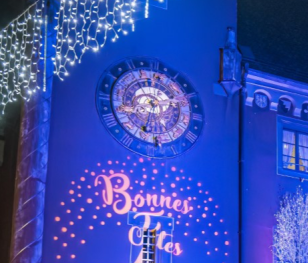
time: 2:33
